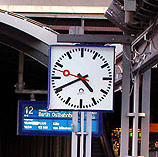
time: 4:40
